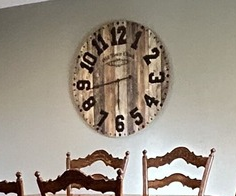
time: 5:43
